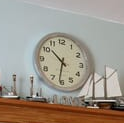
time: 10:31
